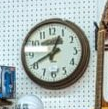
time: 12:41
